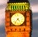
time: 4:36
